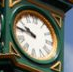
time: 9:45
